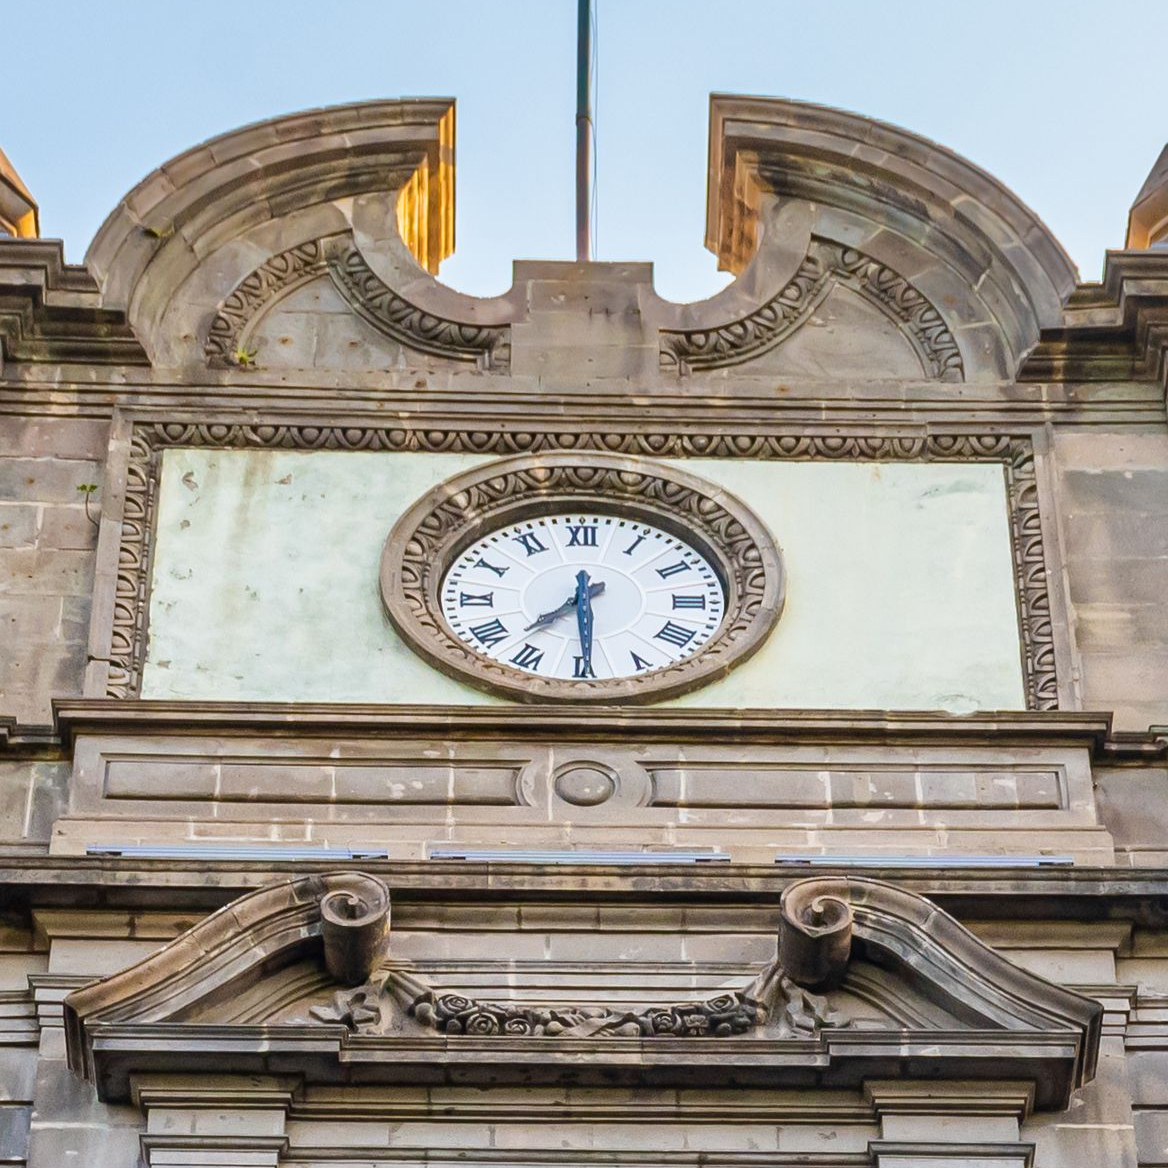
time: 7:29
